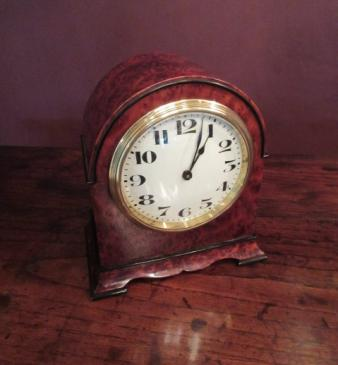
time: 1:03
